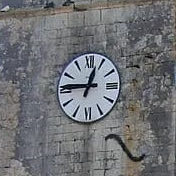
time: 12:45
